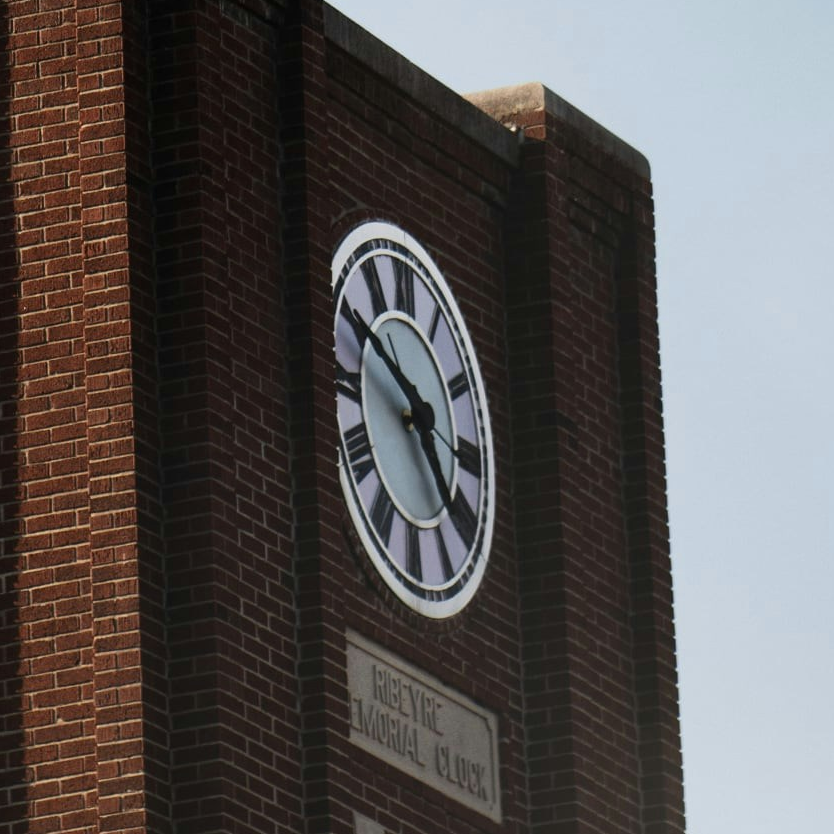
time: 4:49
